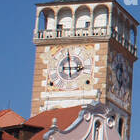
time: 2:58
